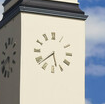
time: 5:38
